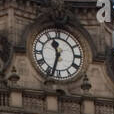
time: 11:33
